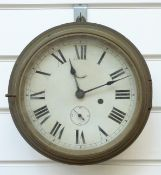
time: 11:11
